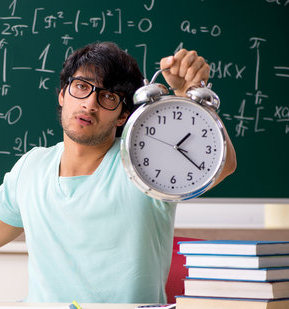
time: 1:21
